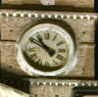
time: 10:49
